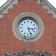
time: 3:26
